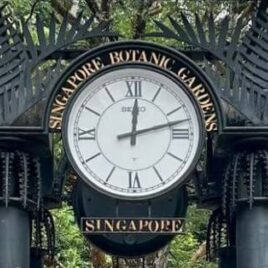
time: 12:12
